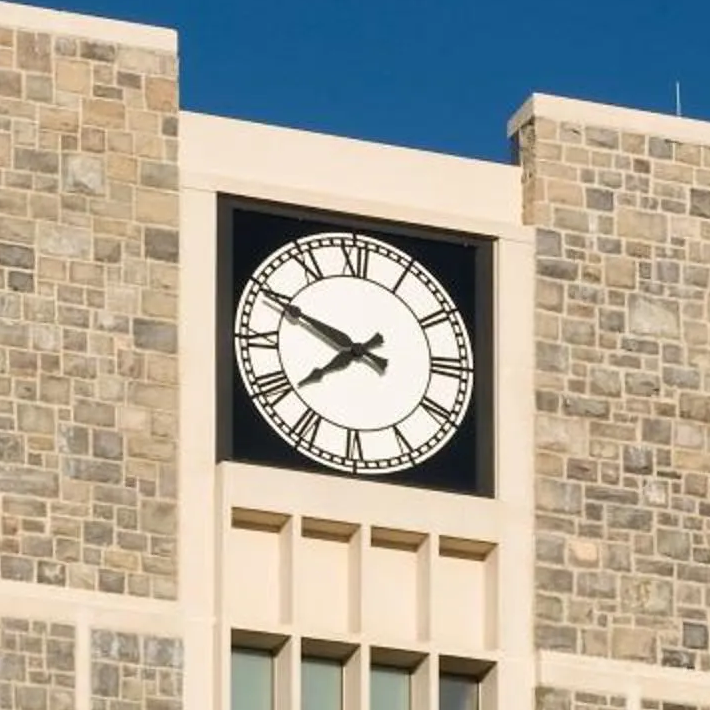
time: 7:48
